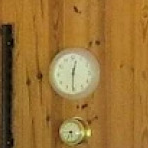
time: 12:30
